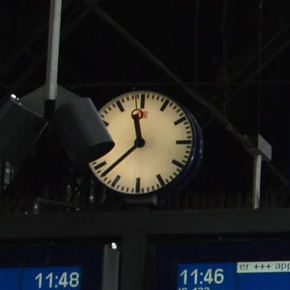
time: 11:37
